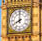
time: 7:59
